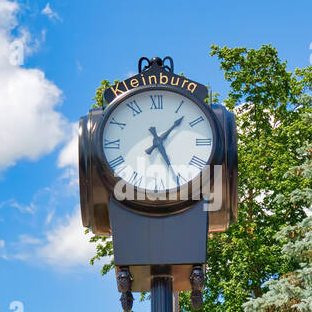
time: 1:25
